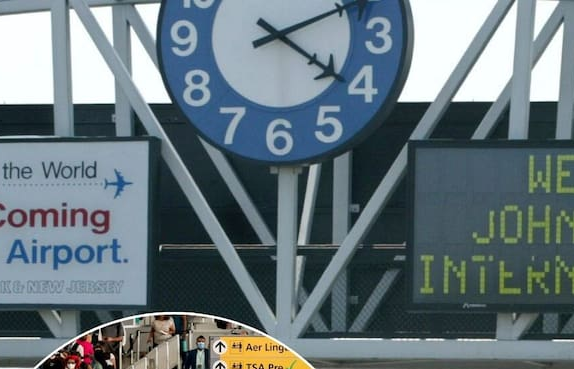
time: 4:10
